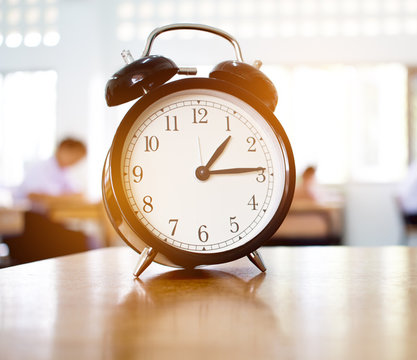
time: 1:14
